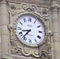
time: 8:36
